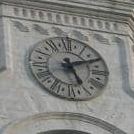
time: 5:11
